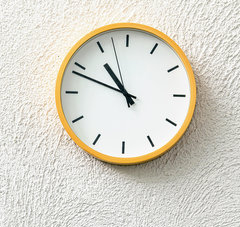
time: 10:48
